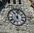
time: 11:02
